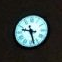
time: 9:27
